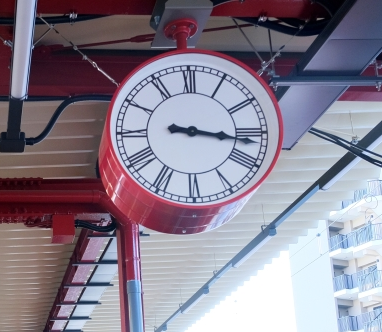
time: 3:16
